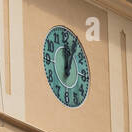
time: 12:05
